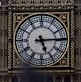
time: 5:14
